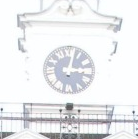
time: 3:02
